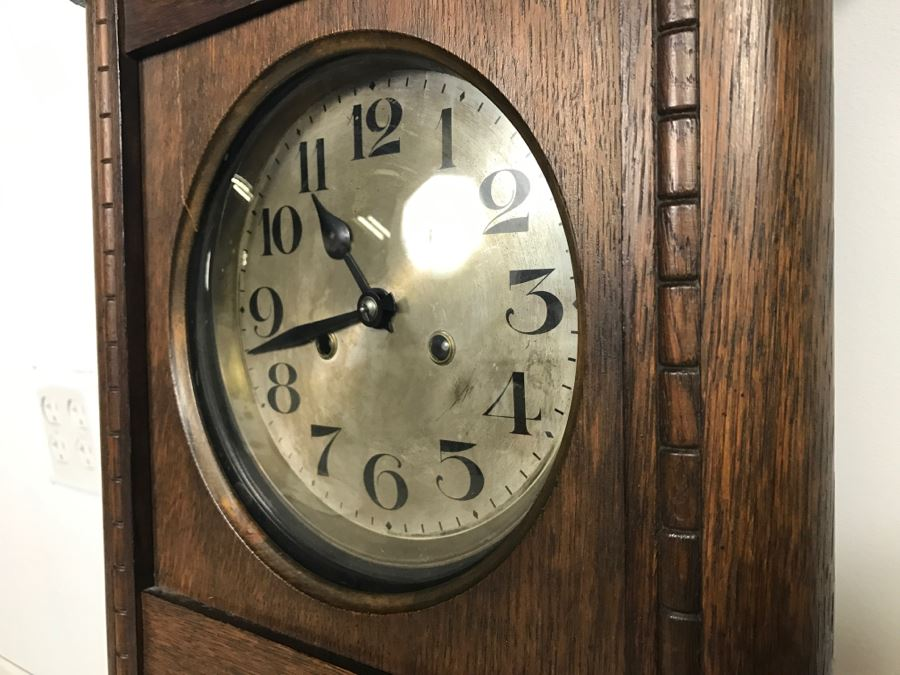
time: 10:42
